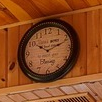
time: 10:11
